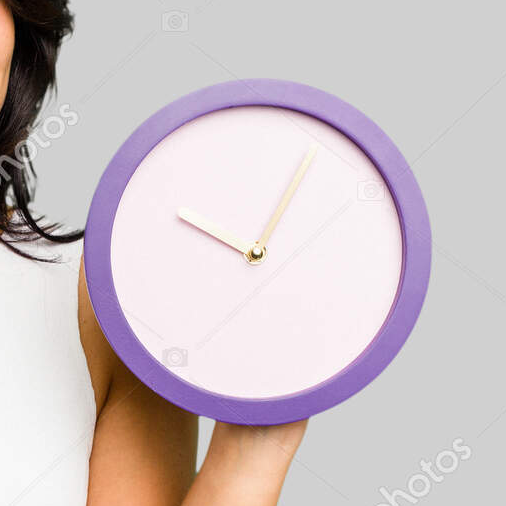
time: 10:04
